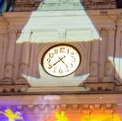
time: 4:38
